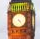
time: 4:24
